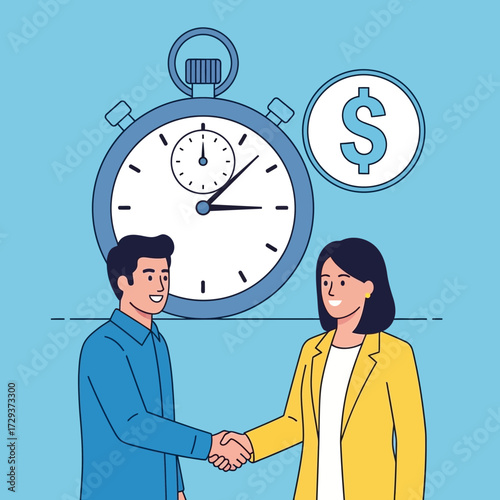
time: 3:07
